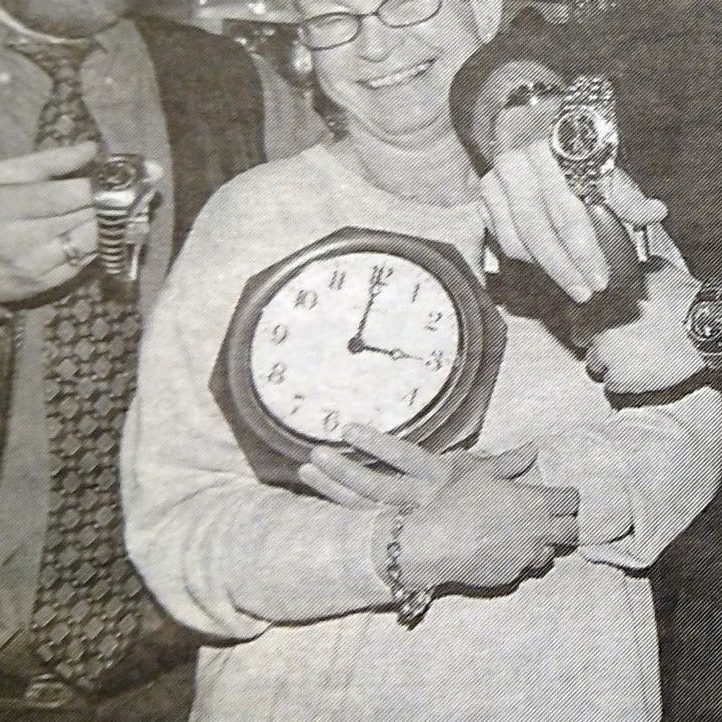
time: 3:00
